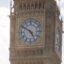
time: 4:50
